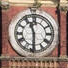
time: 11:29
